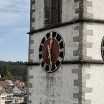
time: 12:28
